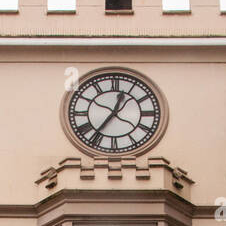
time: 12:36
